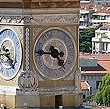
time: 4:45
